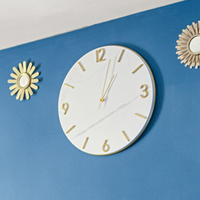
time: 1:03
